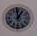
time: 12:58
